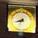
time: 8:34
